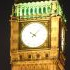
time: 10:07
